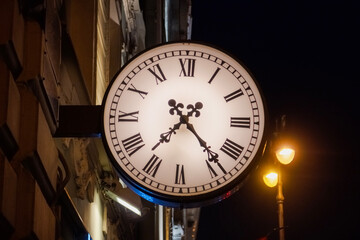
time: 7:23
